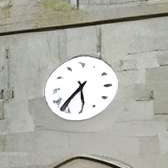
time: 5:36
